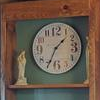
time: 1:34
